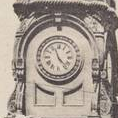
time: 11:22
